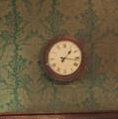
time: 1:16
